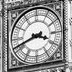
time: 3:41
